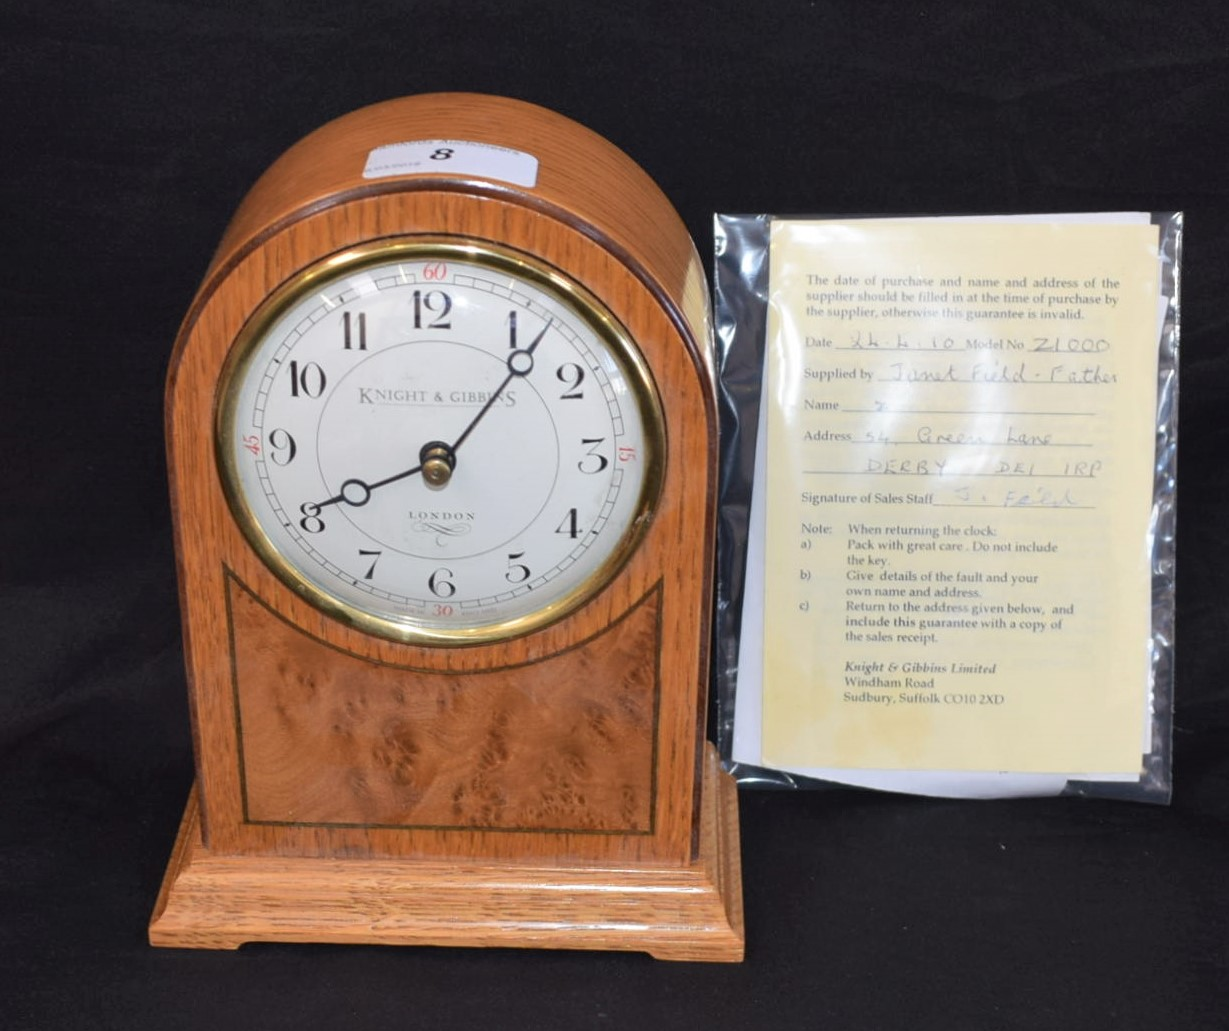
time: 8:06
